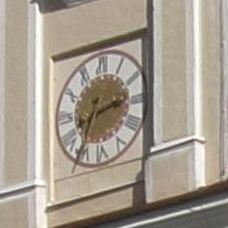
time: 2:35
